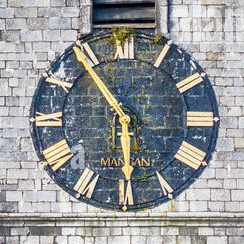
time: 5:53
